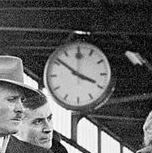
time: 3:51
